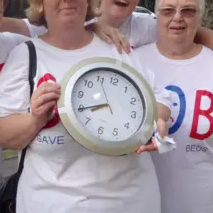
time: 7:39
